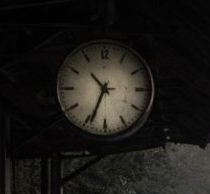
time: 10:34
